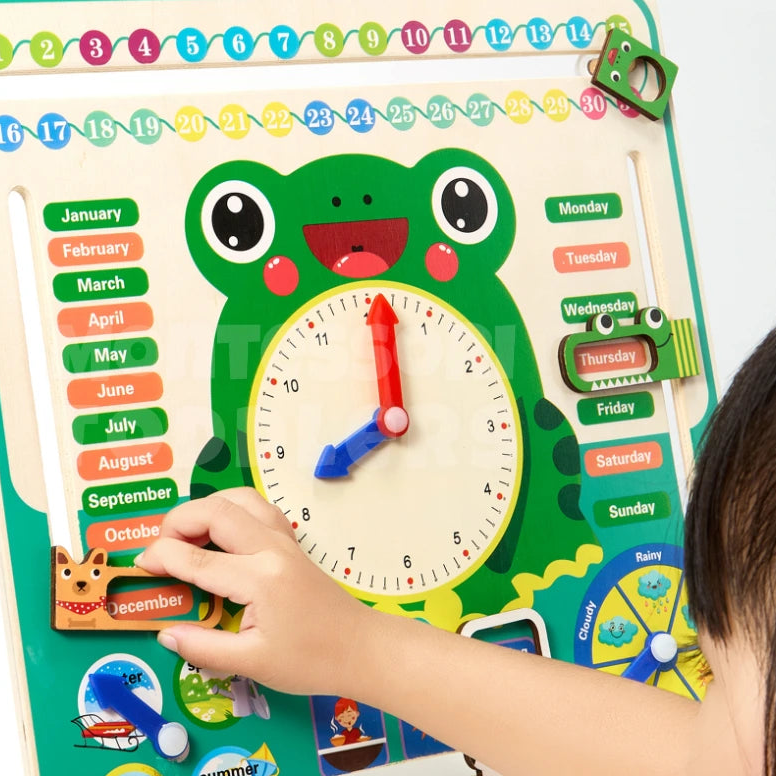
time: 8:01
